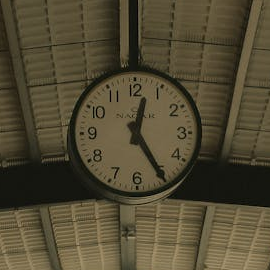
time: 12:24
